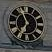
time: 6:56
